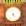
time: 4:57
